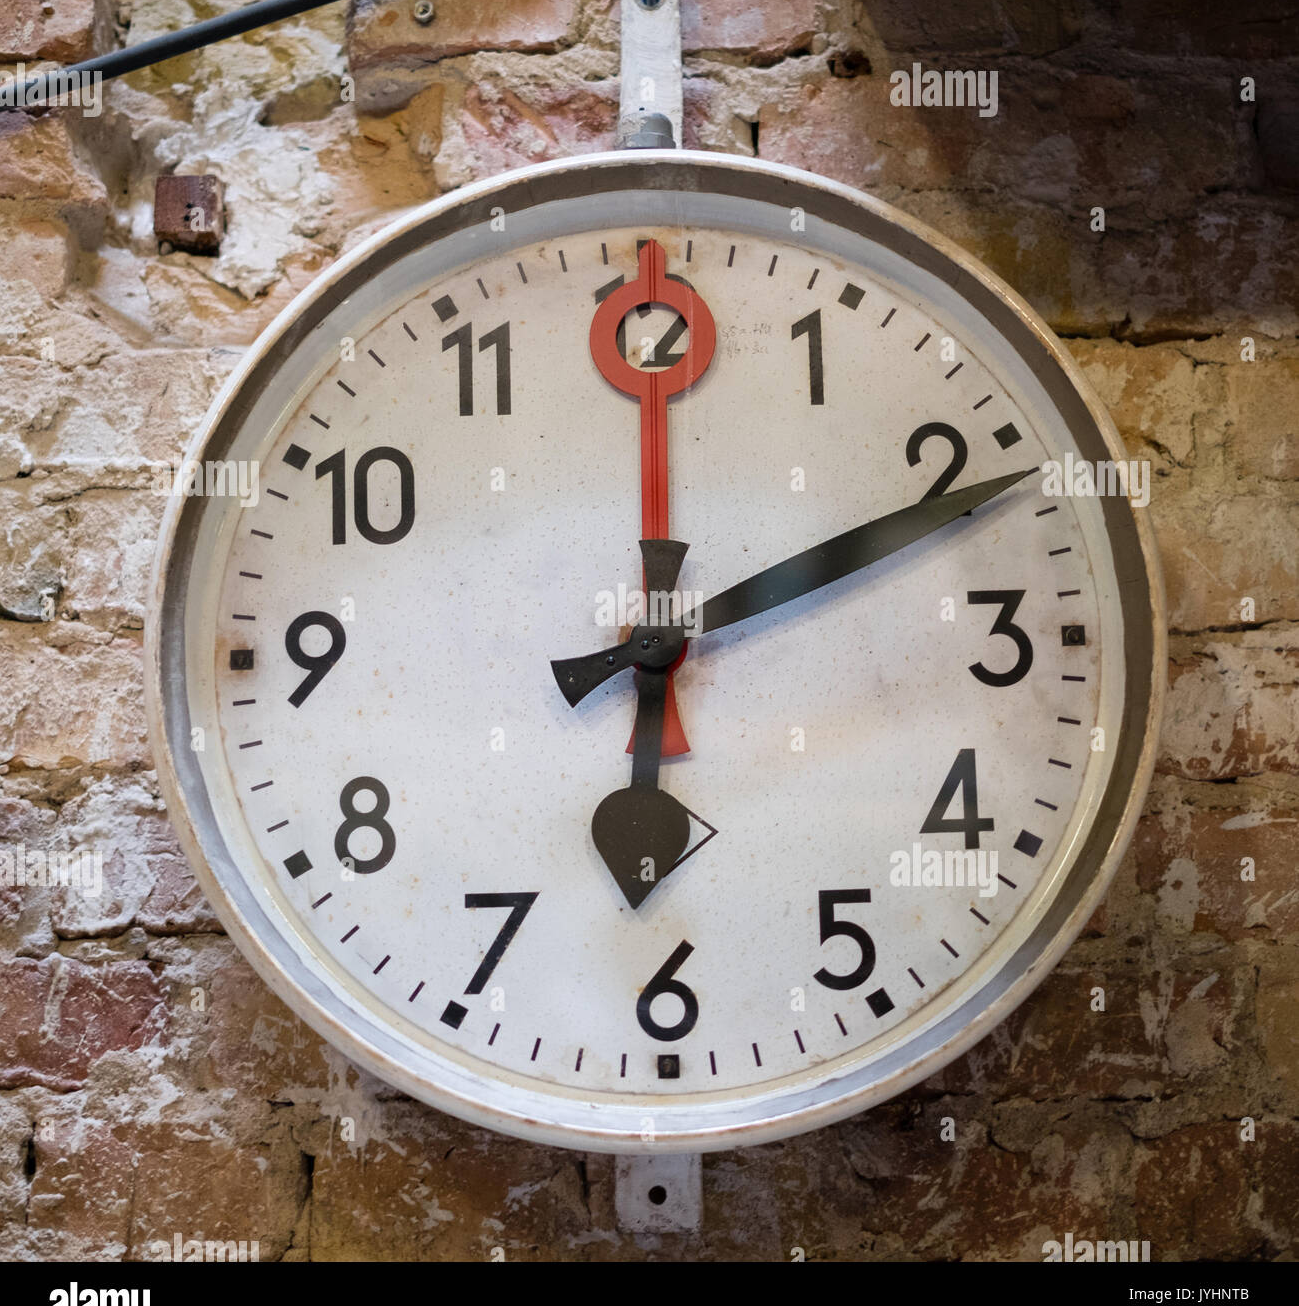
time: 6:10
